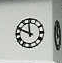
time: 11:48
